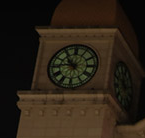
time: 10:45
